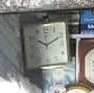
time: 10:10
